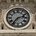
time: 2:36
